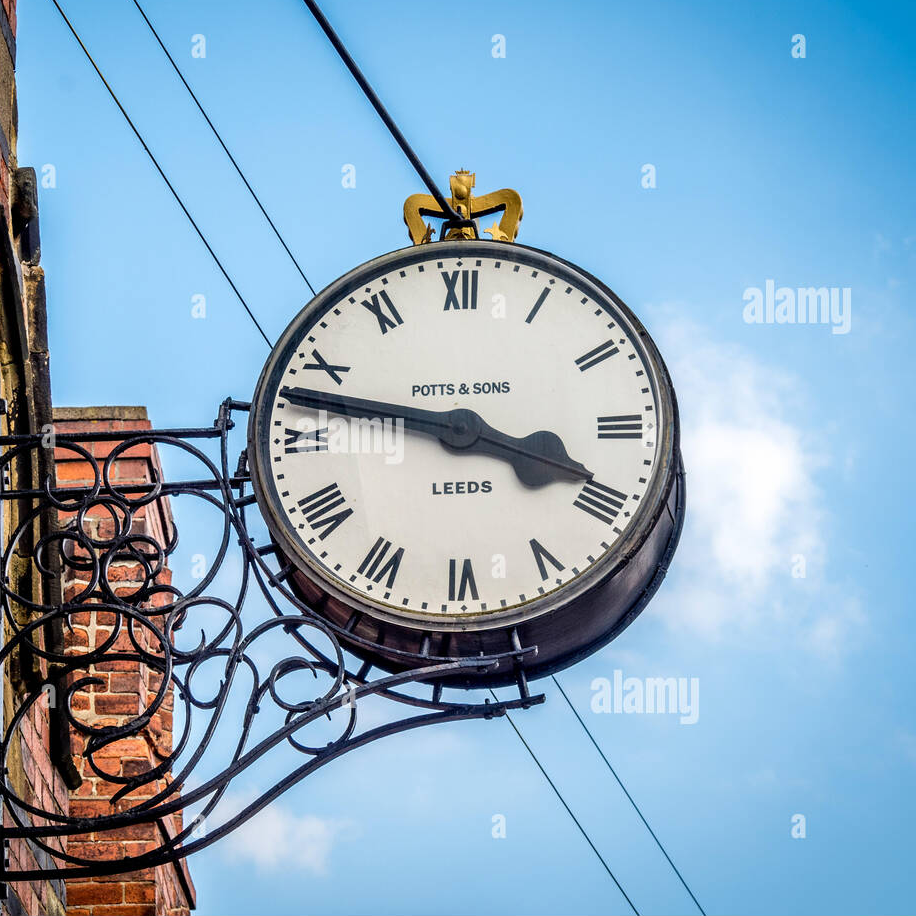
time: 3:47
